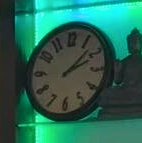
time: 2:07
